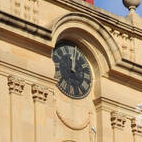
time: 12:02
